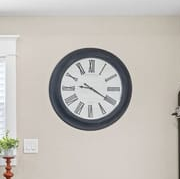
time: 9:20
